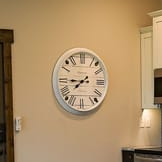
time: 7:45
